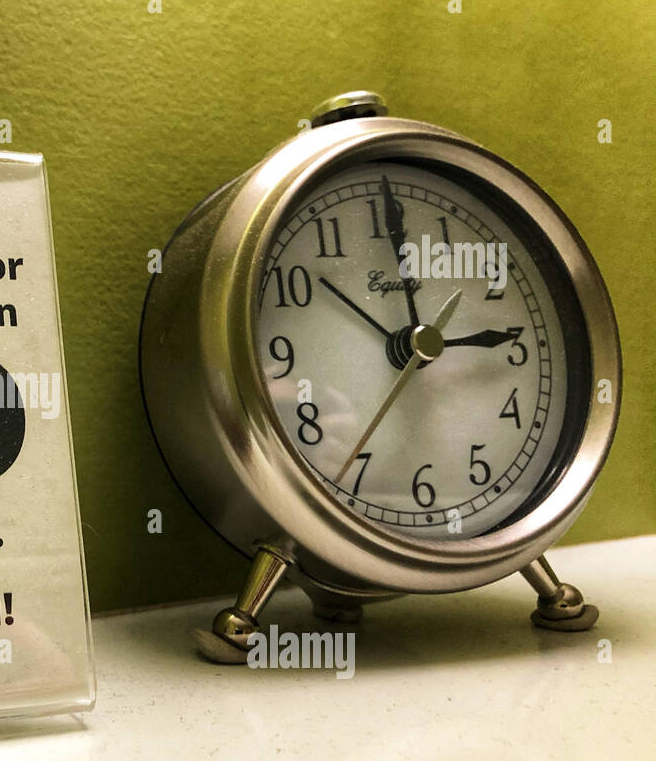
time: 12:14
